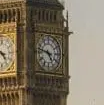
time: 4:47
